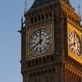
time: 7:59
